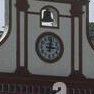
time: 3:02
